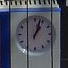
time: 1:03
